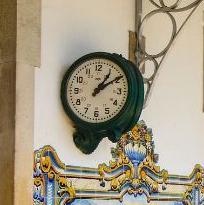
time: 1:09
